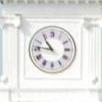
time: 10:46
